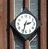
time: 2:33
